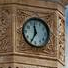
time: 11:34
